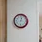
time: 12:32
